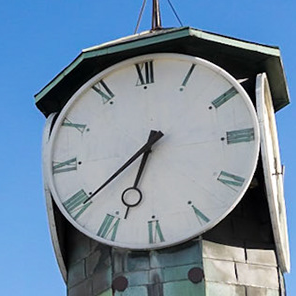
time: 6:39
